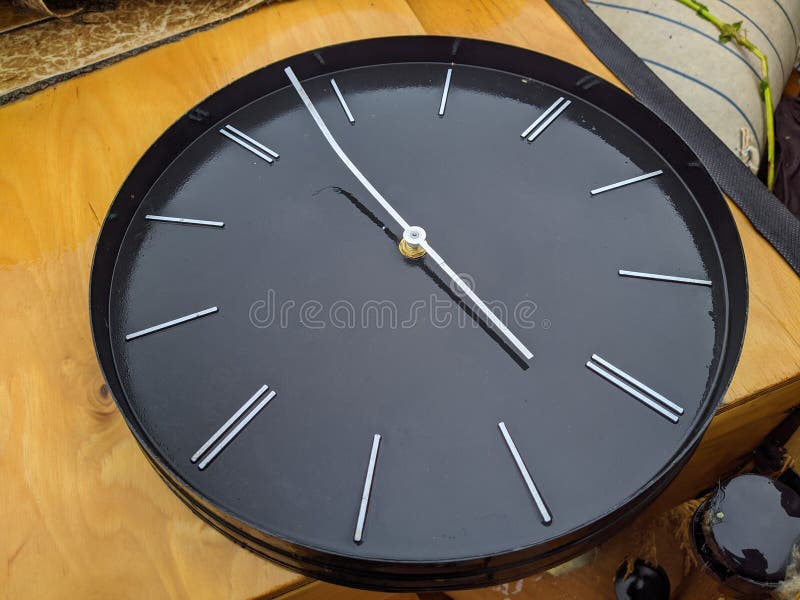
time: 4:22
